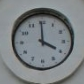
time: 3:59
